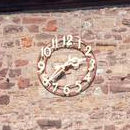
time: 7:37
